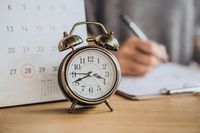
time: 3:40
